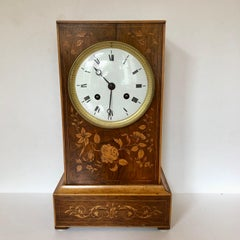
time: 10:31
